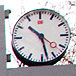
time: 10:28
